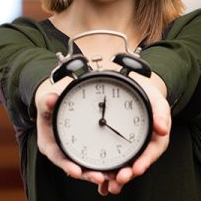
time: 12:21
